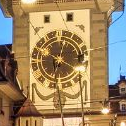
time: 10:02
